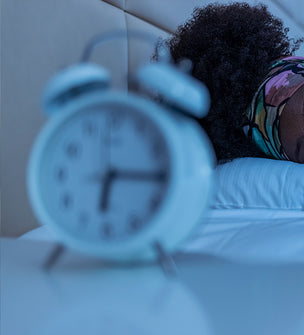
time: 6:15
